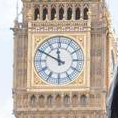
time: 11:49
